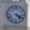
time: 4:19
